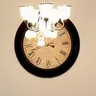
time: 3:42
